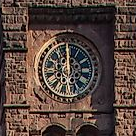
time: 5:59
